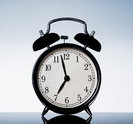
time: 6:57
